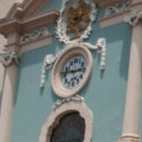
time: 2:45
